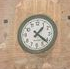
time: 1:21
